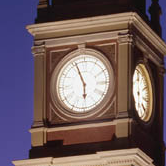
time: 5:55
